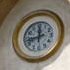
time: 11:42
